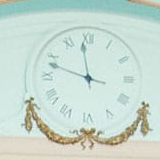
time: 11:47
